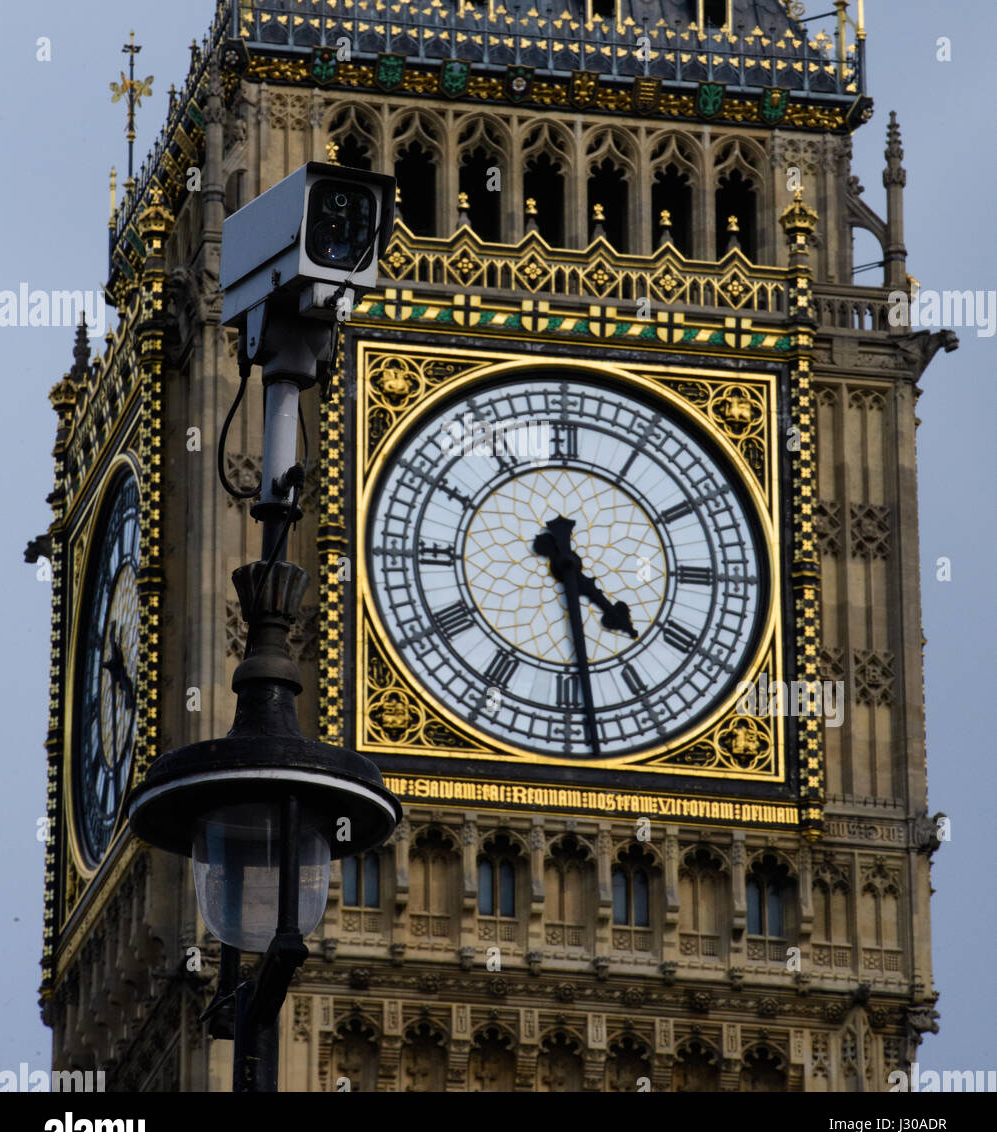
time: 4:28
